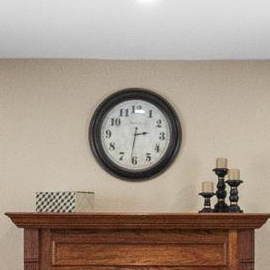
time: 2:31
